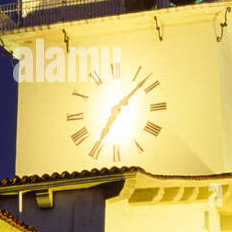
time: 7:08
